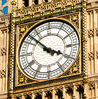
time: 3:52
